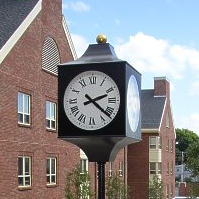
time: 2:21
